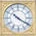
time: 10:20
